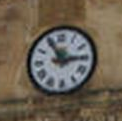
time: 2:54
